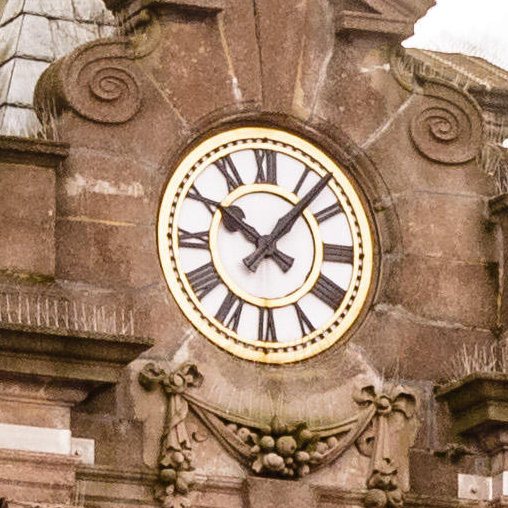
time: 10:07
